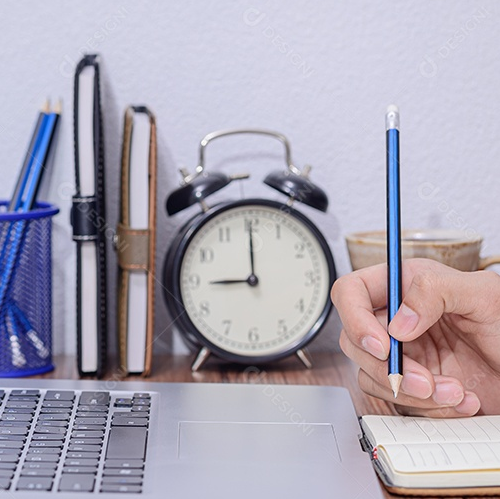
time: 9:00
